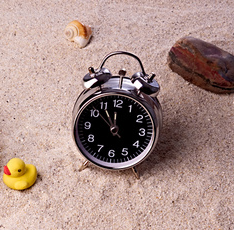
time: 11:52
